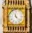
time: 11:22
